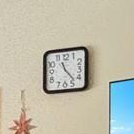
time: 11:22
